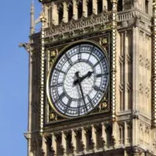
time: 2:27
